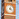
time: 4:02
